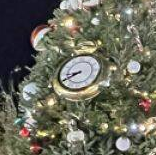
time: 8:40
